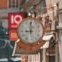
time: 8:59
